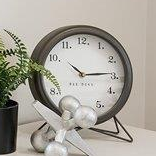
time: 10:14
